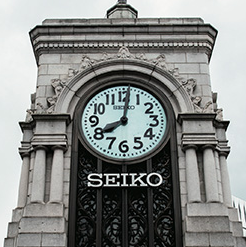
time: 8:01
